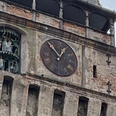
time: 12:52
